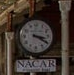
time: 3:20
